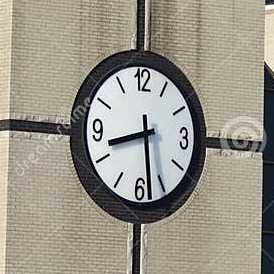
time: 8:28
